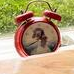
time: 12:40
